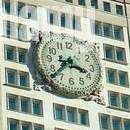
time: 3:37
